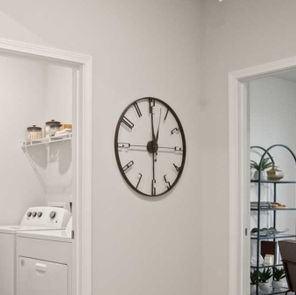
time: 12:59
